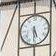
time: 5:30
